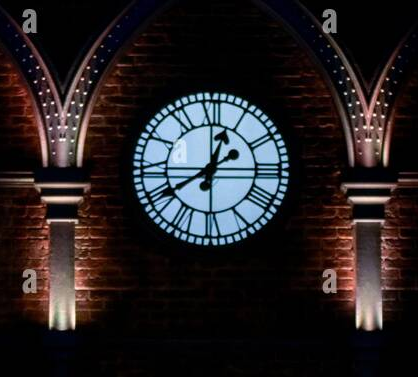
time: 12:39
